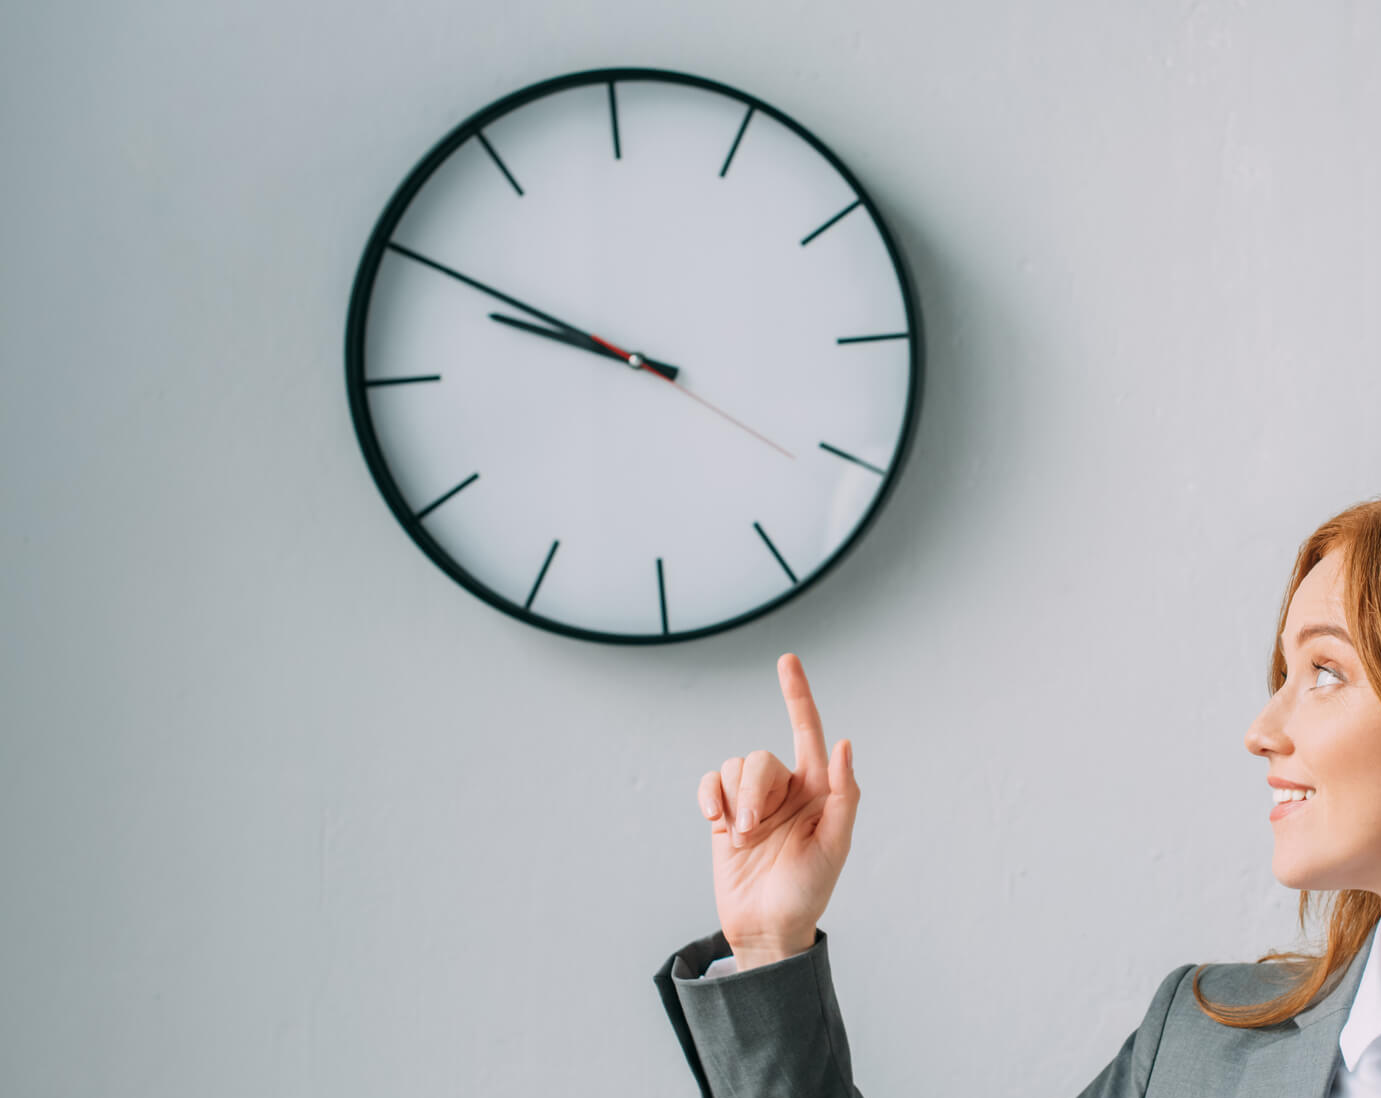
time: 9:50
